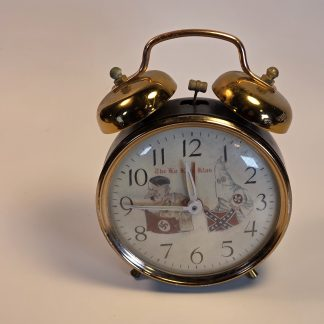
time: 11:46
